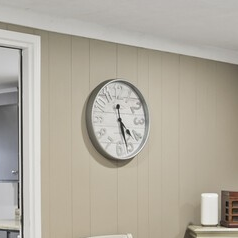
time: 4:26
